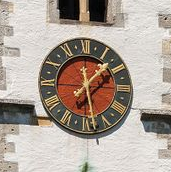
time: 1:28
